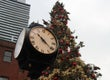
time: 10:20
